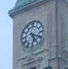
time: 5:18
